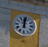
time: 12:01
